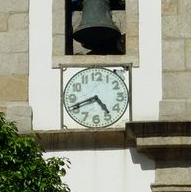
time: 4:41
